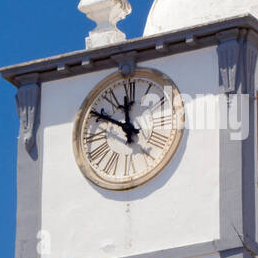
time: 11:50
